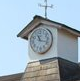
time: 11:17
